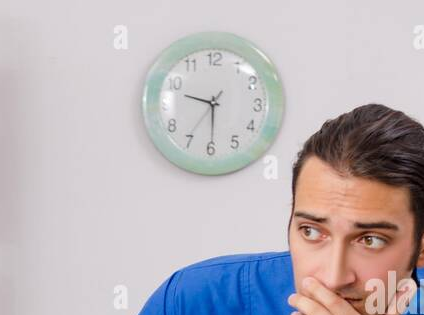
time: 9:29
